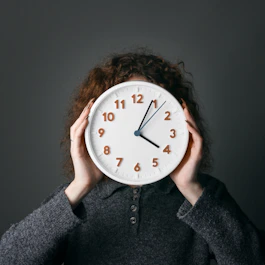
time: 4:04
